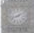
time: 1:42
